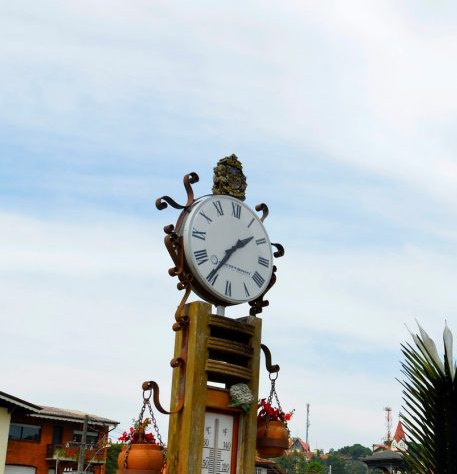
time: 1:35
